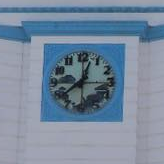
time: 12:38
